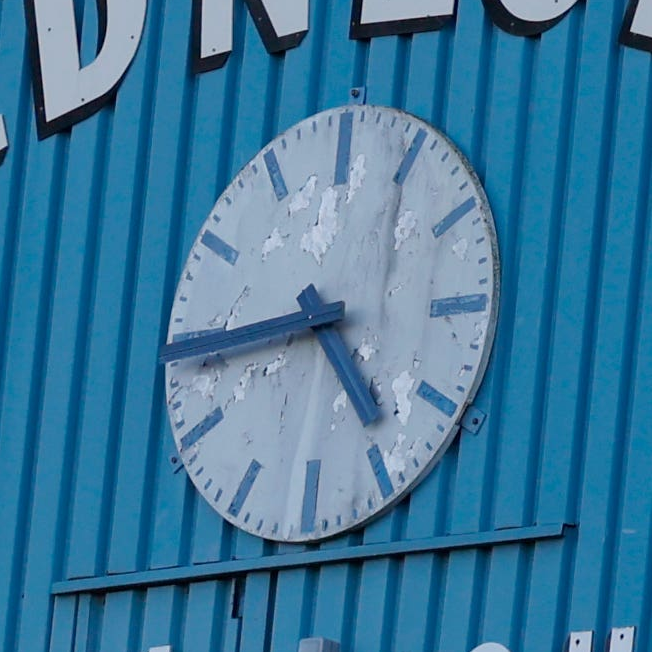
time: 4:44
